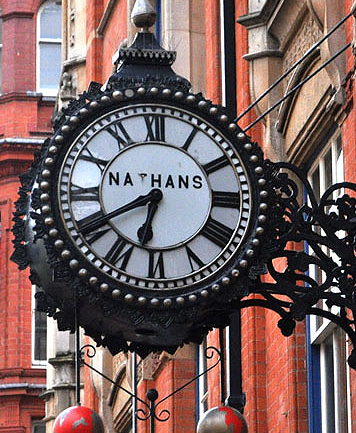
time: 6:40
